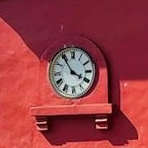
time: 3:54
